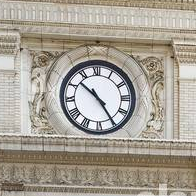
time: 10:24
